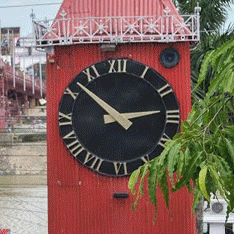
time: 2:52
